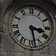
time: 3:28
